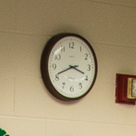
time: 3:41
